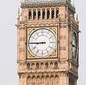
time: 8:45
